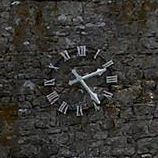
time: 2:23
